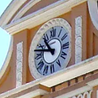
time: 10:47
